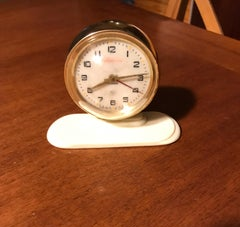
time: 8:14
